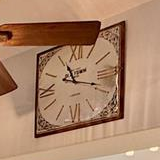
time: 11:18
